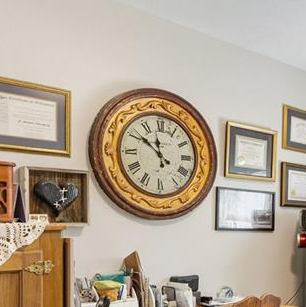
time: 11:50
